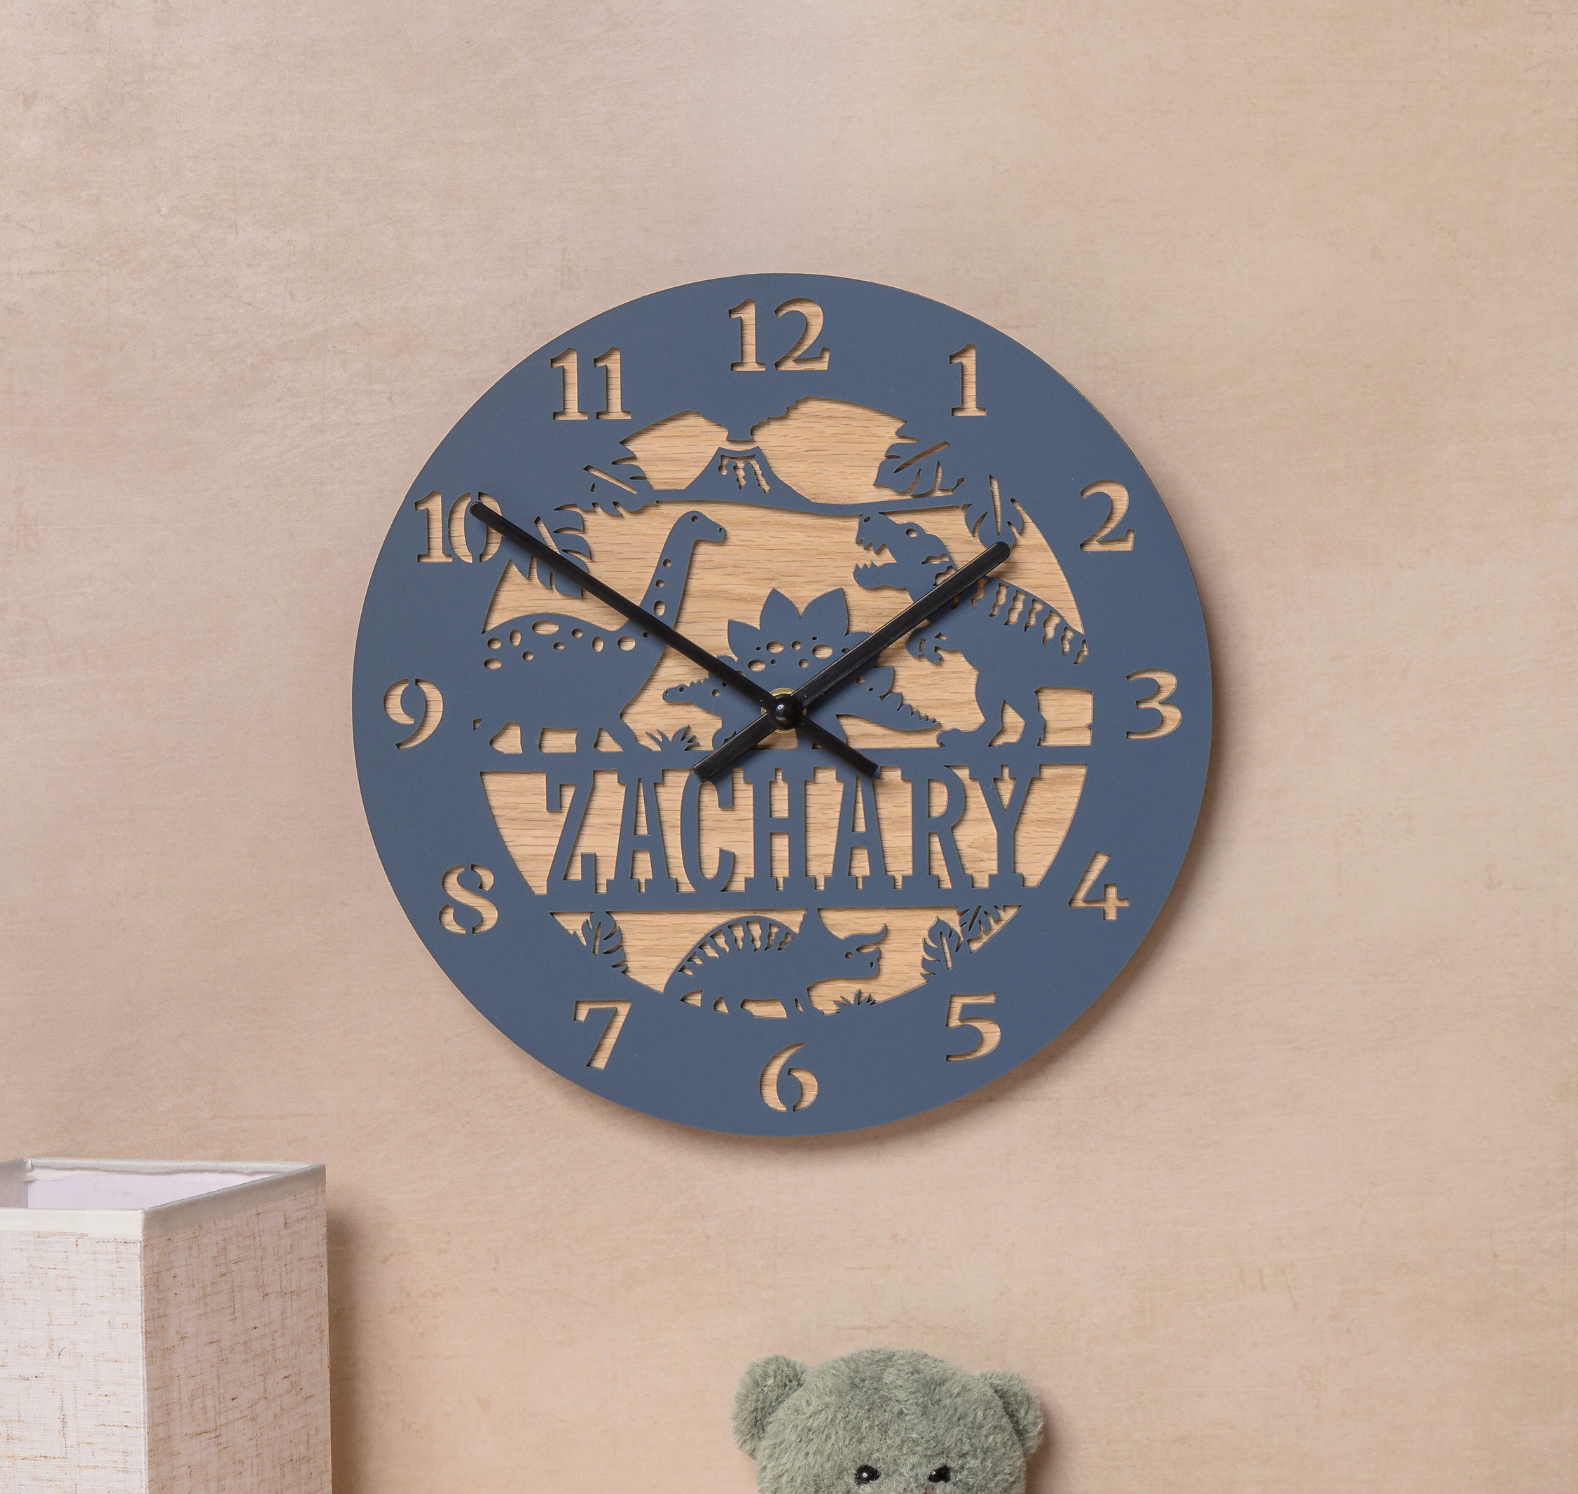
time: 1:50
